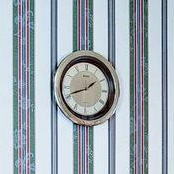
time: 1:41
